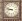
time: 8:48
